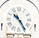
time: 10:24
